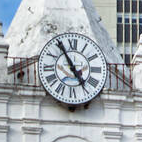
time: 4:54
